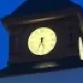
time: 5:34
